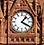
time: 1:20
